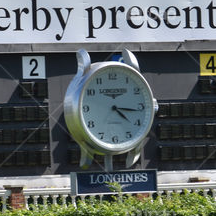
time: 4:16
